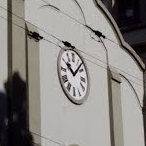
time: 10:07
